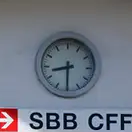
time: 8:30
